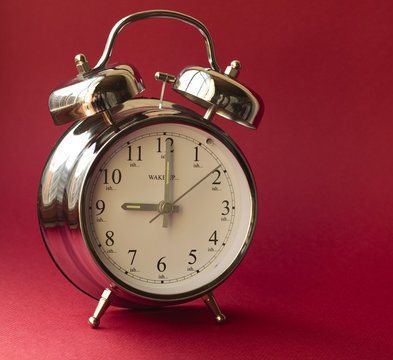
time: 9:00
